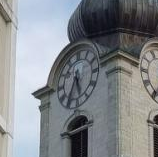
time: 5:34
